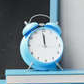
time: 11:59
